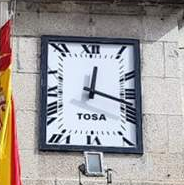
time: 12:17
